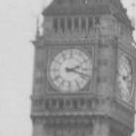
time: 2:18
